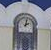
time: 2:01
